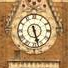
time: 5:27
